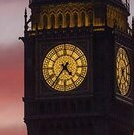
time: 4:36
